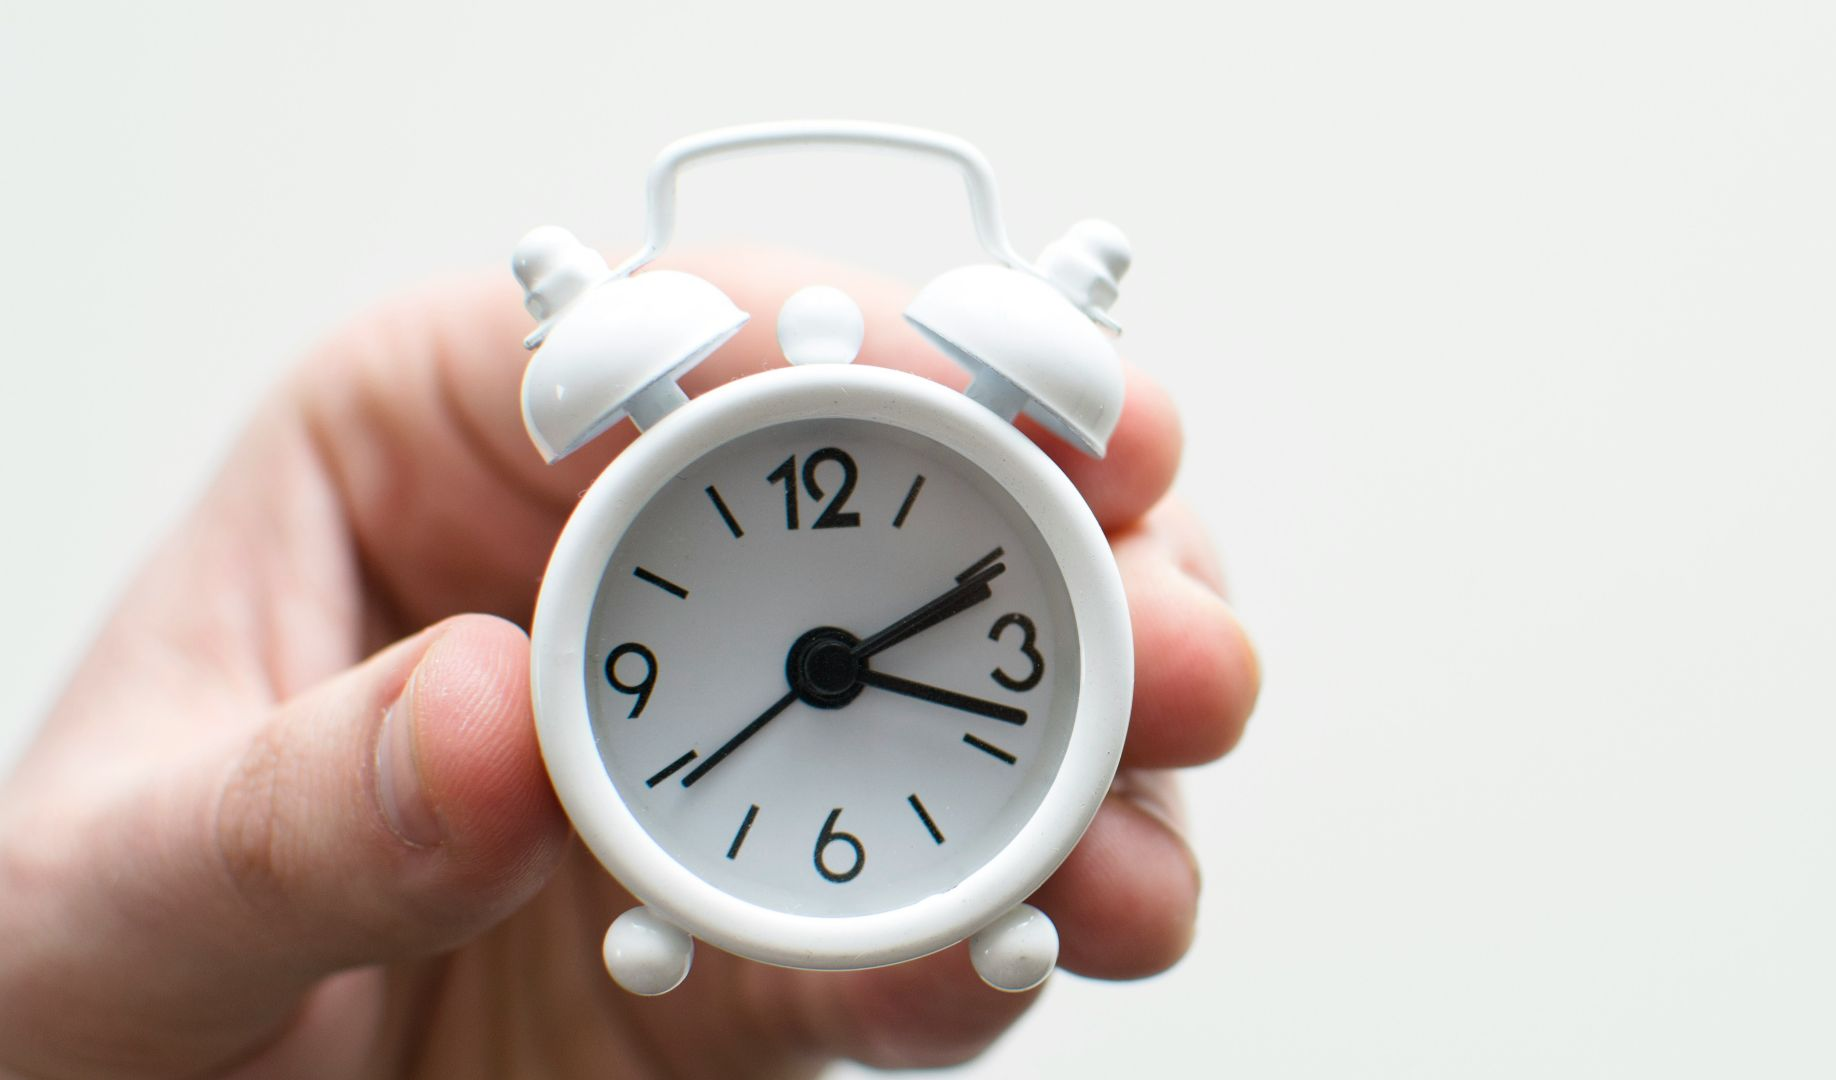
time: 2:18
